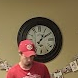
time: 1:09
